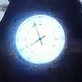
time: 7:56
